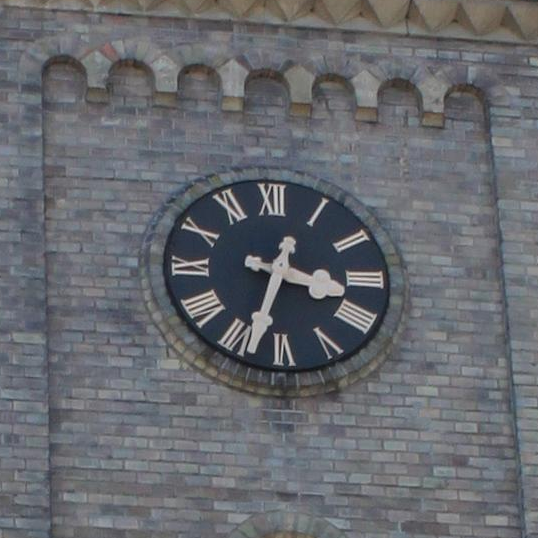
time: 3:33
